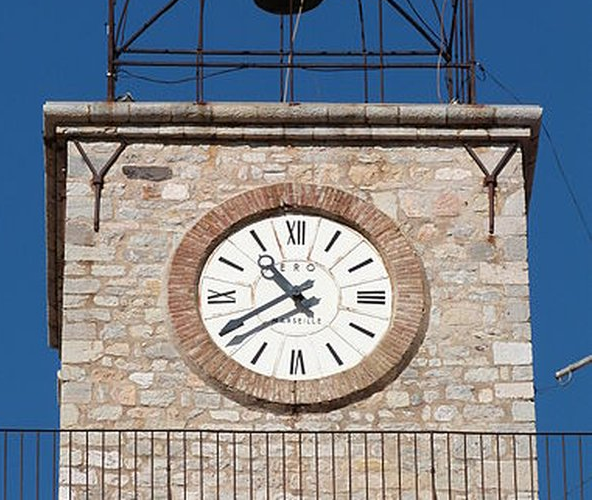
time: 10:40
